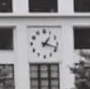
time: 1:18
